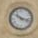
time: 10:17
